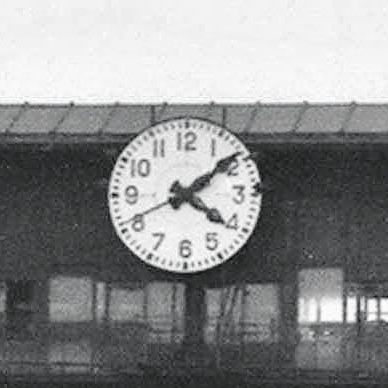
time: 4:08
